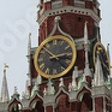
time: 2:52
